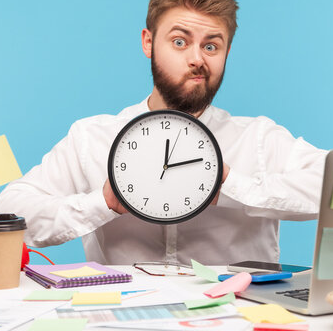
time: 12:13
